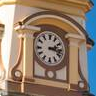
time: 2:16
